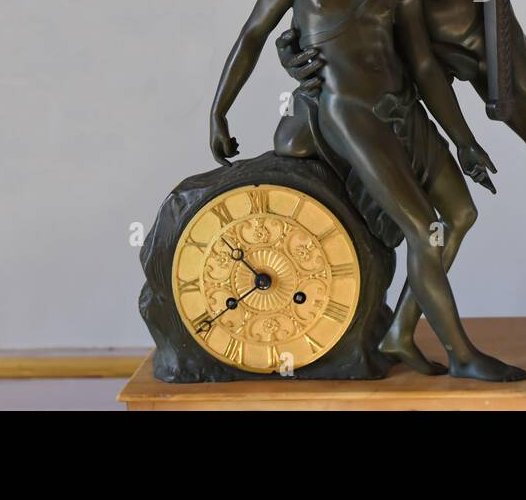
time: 10:39
